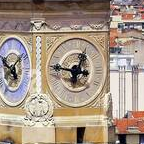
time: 12:46
